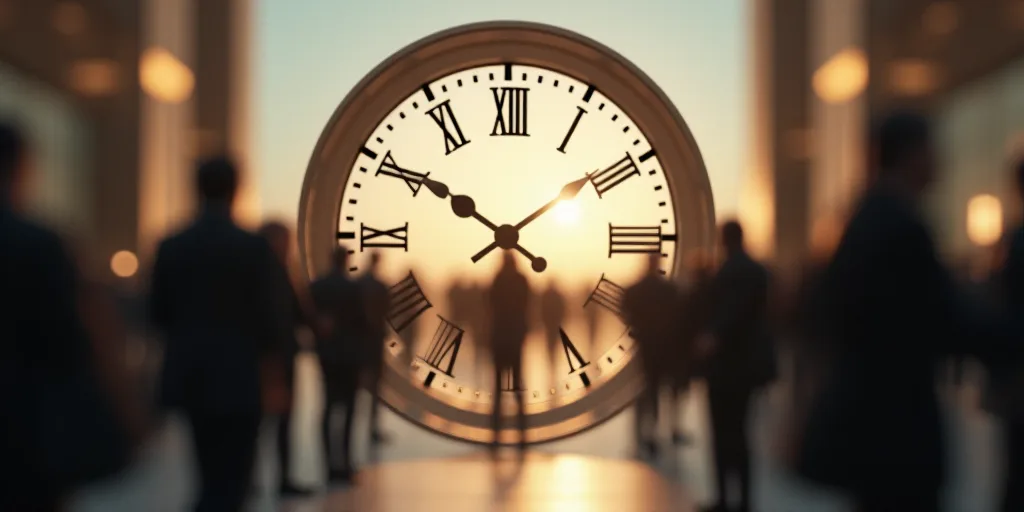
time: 1:50
